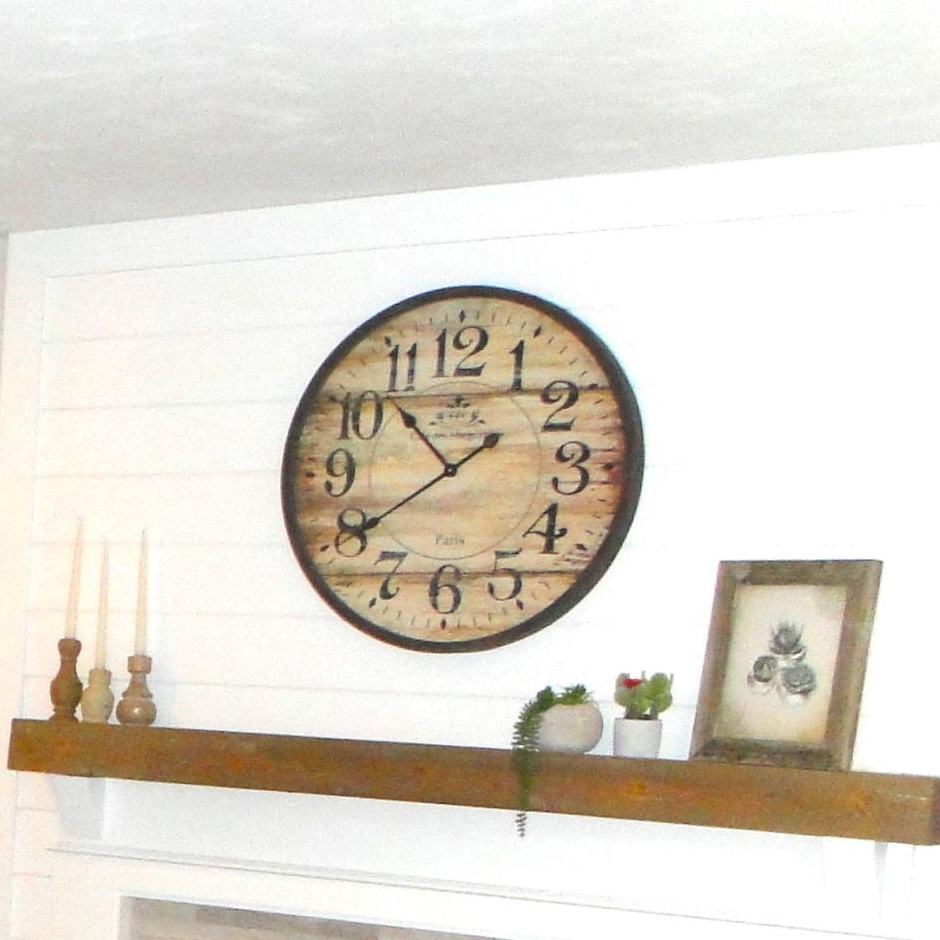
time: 10:39
